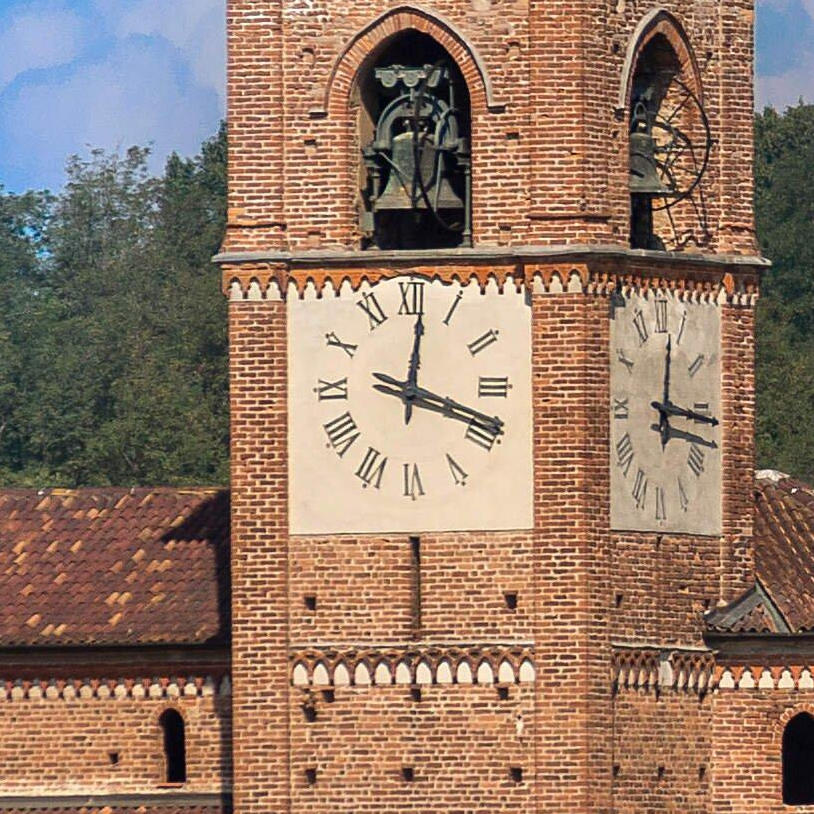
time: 12:18
